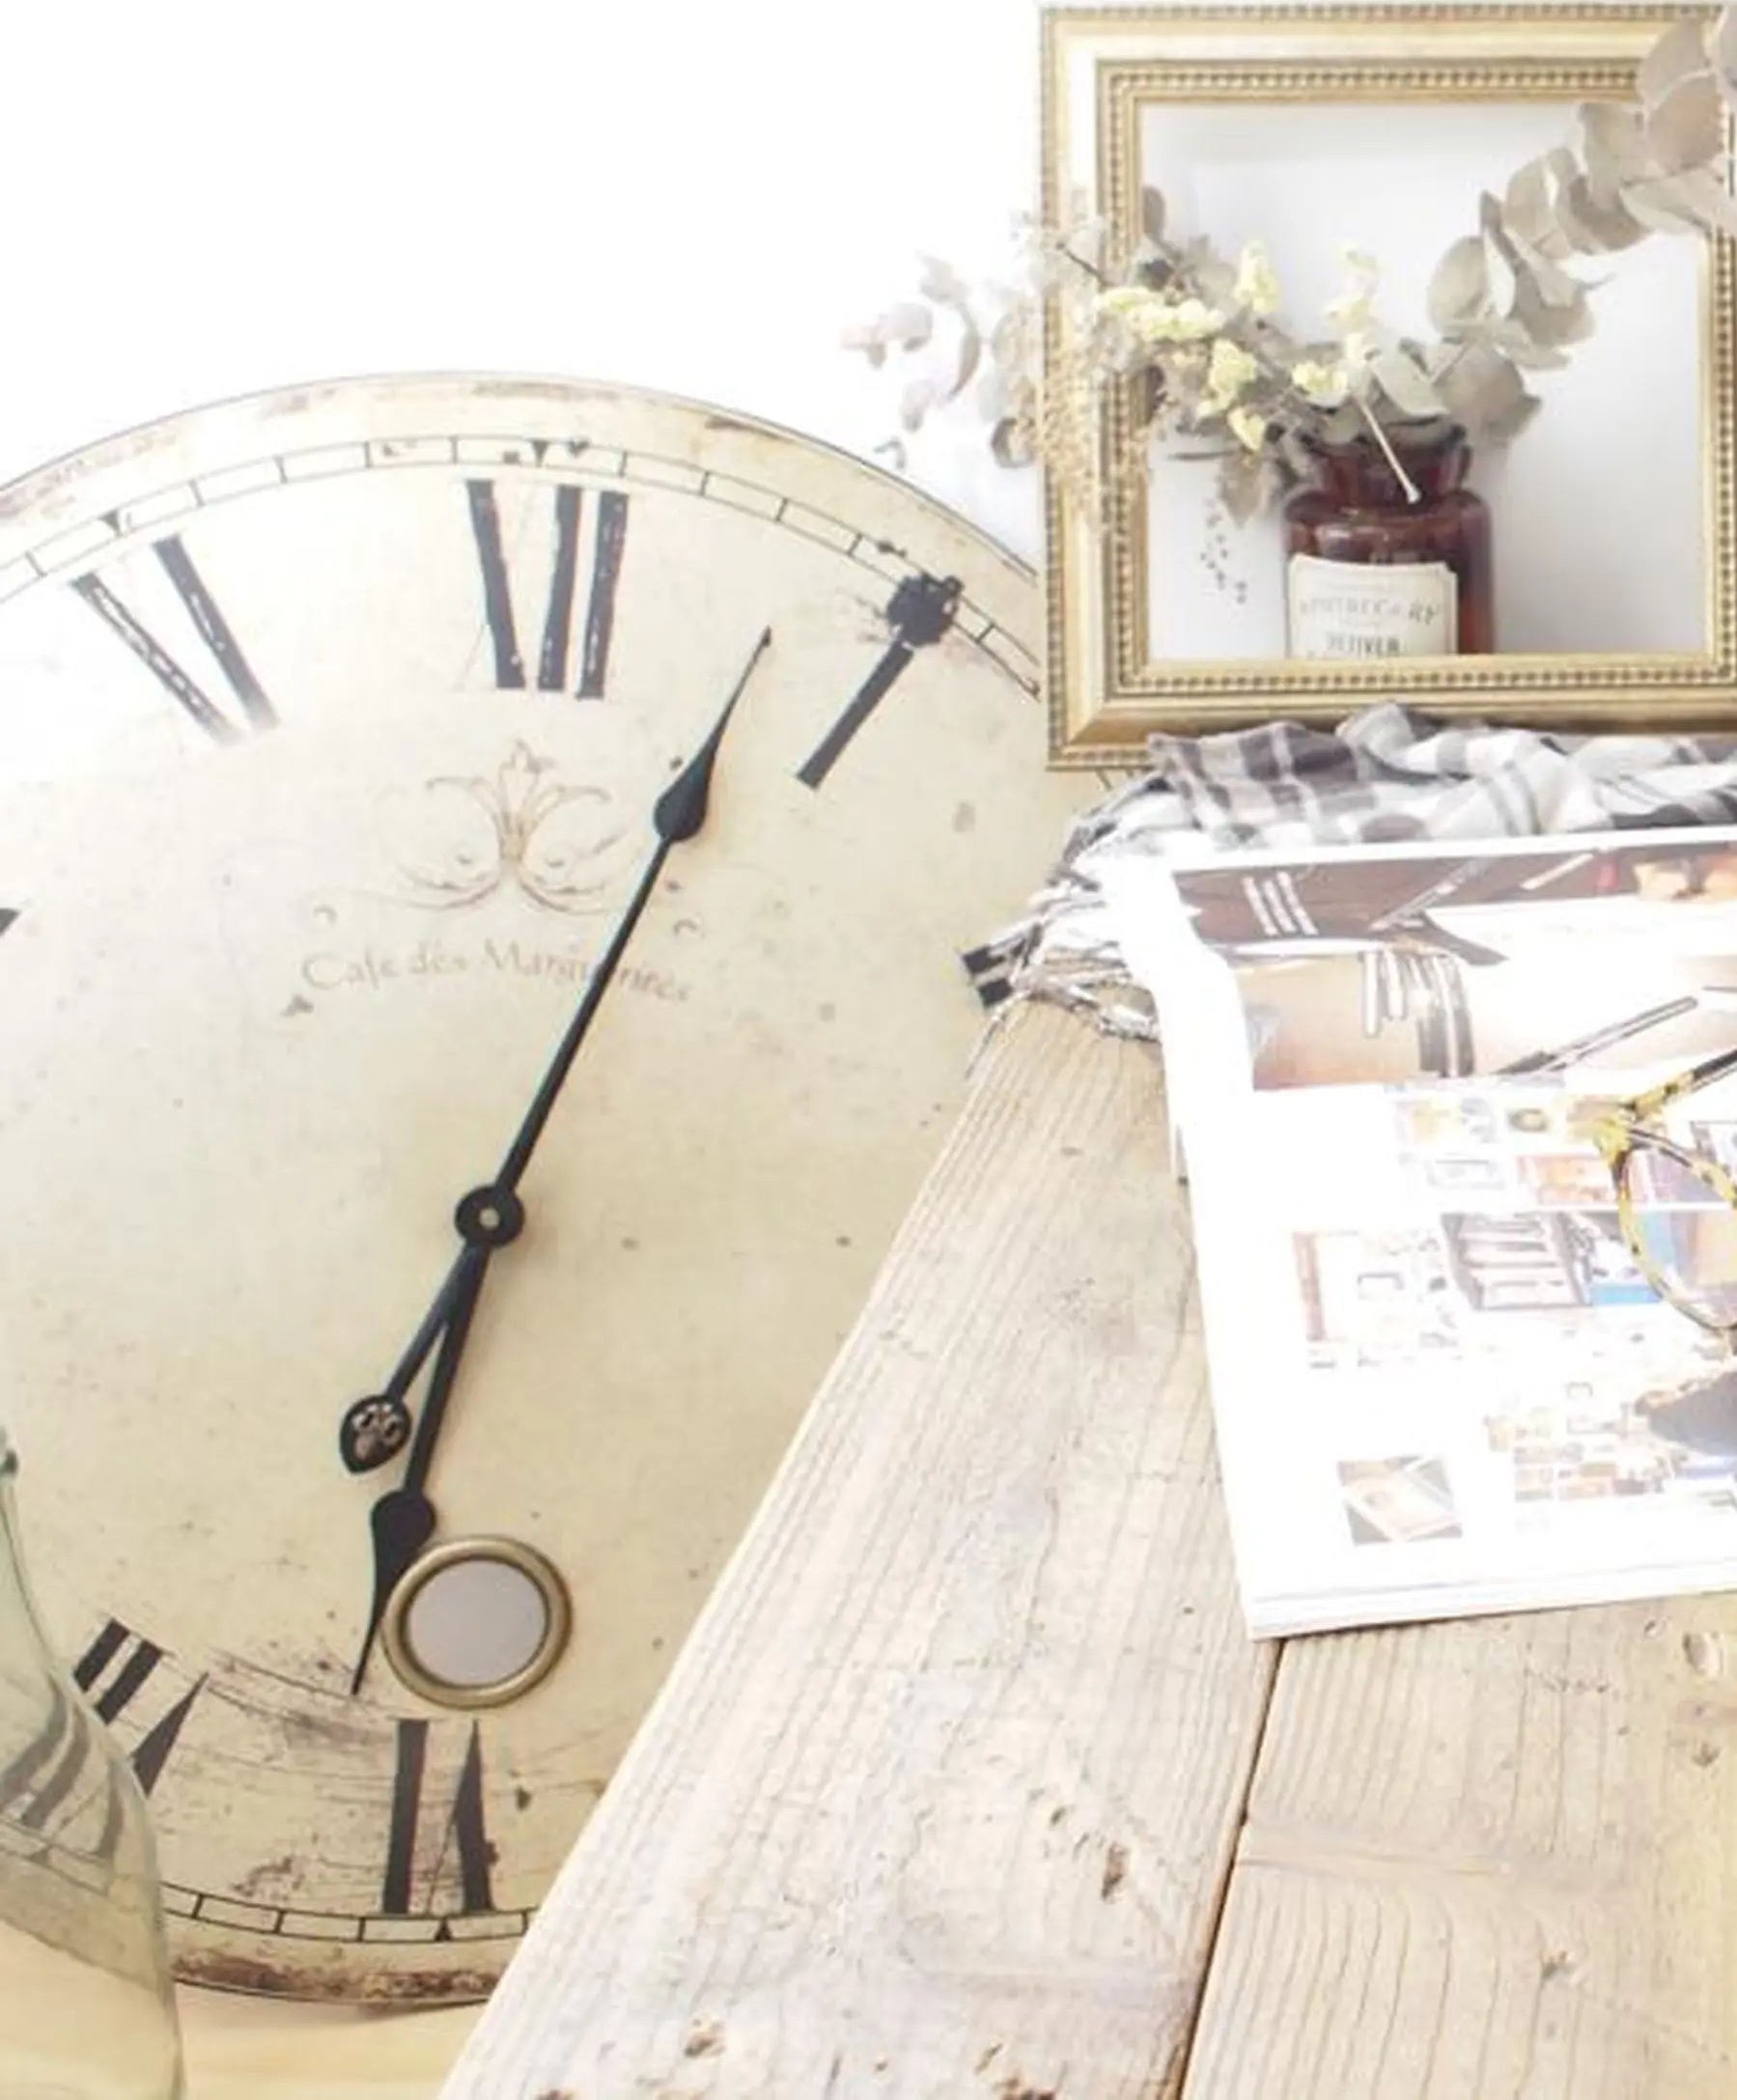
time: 6:03
